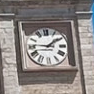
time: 1:46
